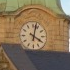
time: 4:02
